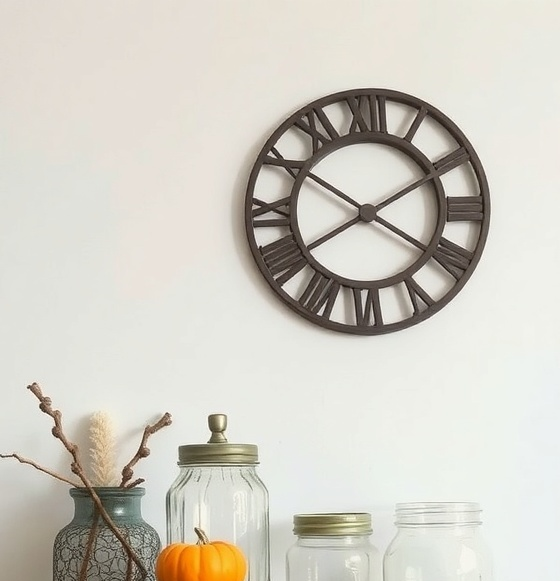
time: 7:50
